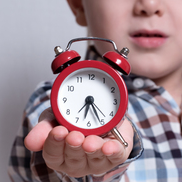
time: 6:25
